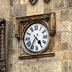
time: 4:35
